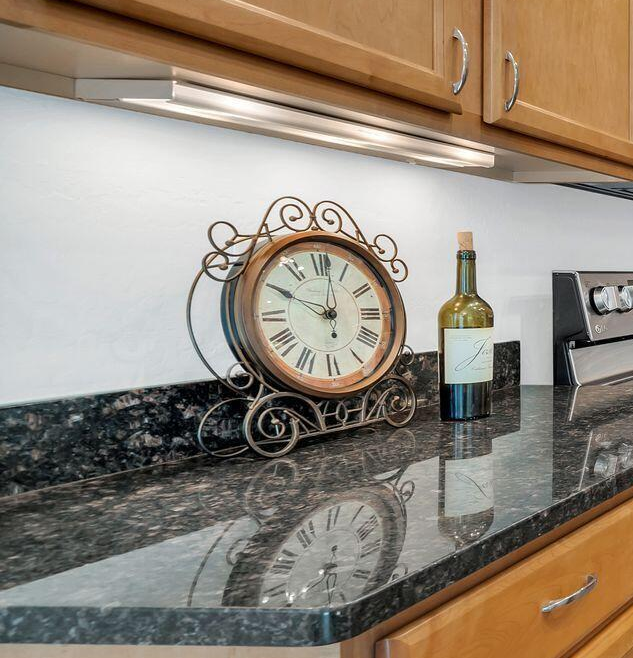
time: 10:01
